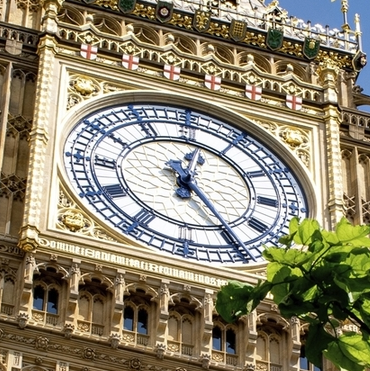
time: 12:24
